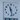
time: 11:28
